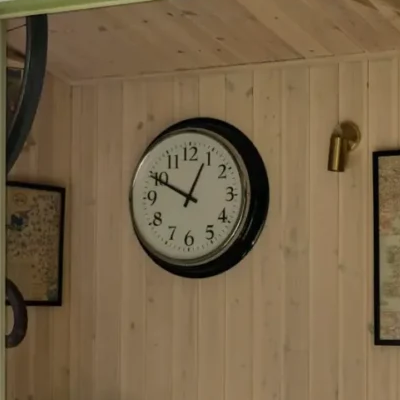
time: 12:49
